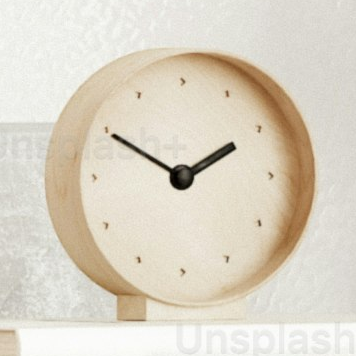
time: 1:50
